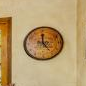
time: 12:23
